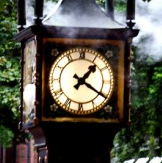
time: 1:20
